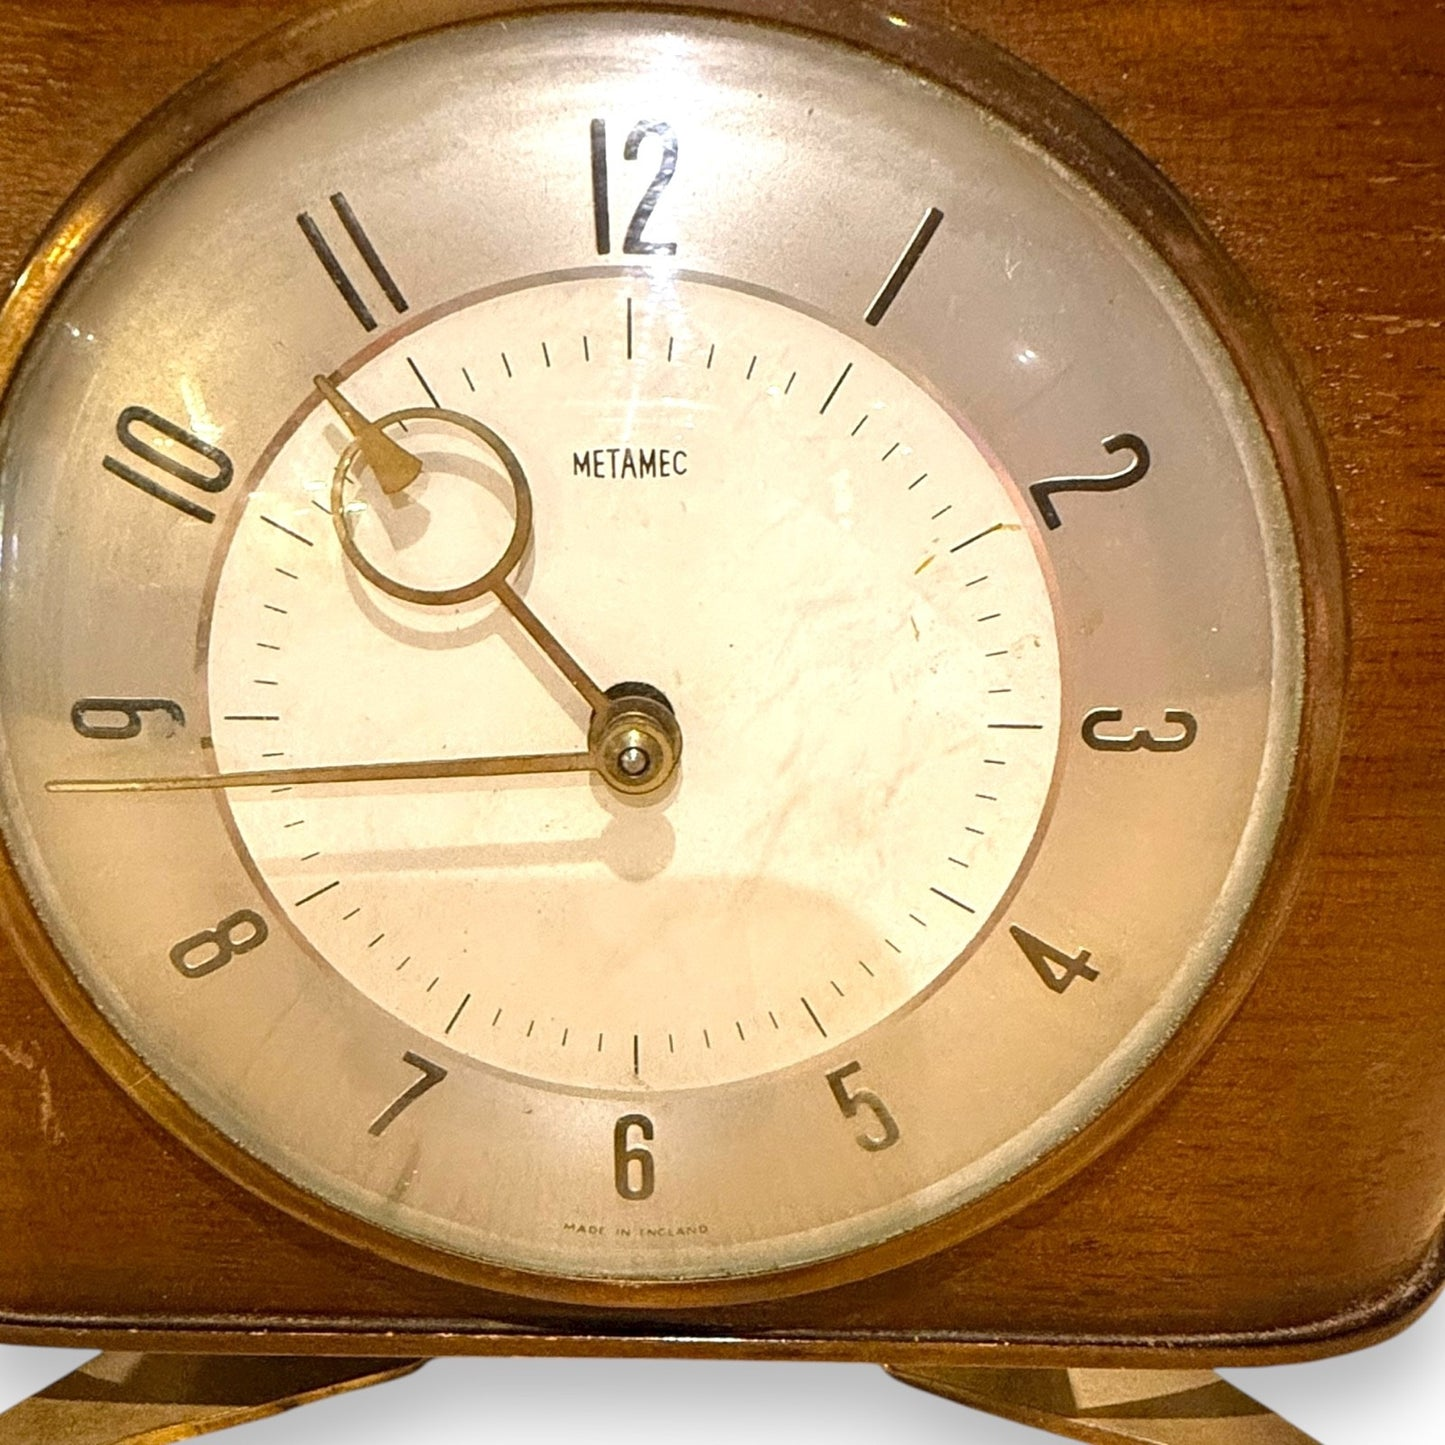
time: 10:43
